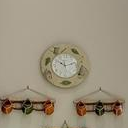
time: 10:12
